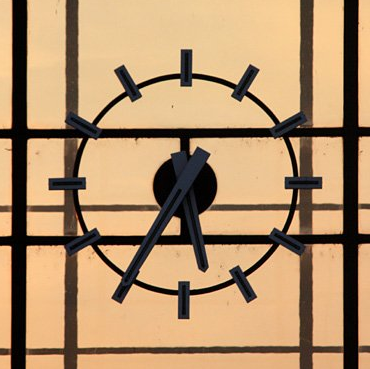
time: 5:35
